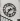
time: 7:12
